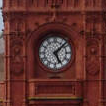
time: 5:07
